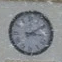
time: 3:09
